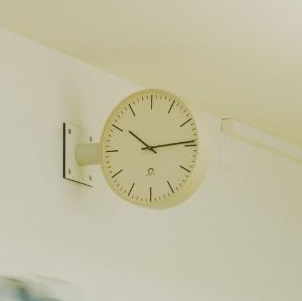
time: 10:14
